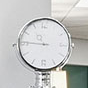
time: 10:45
